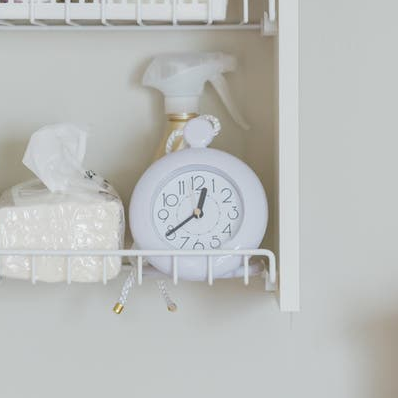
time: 12:39
